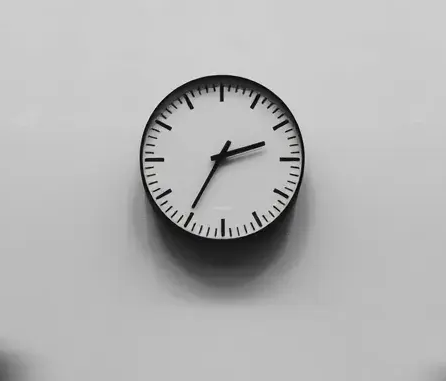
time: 2:35
